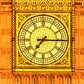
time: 7:15
